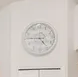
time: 4:45
